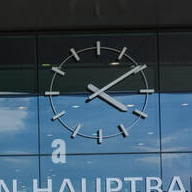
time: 4:09
